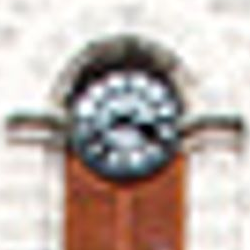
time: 3:40
